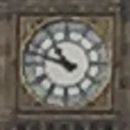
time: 10:47
